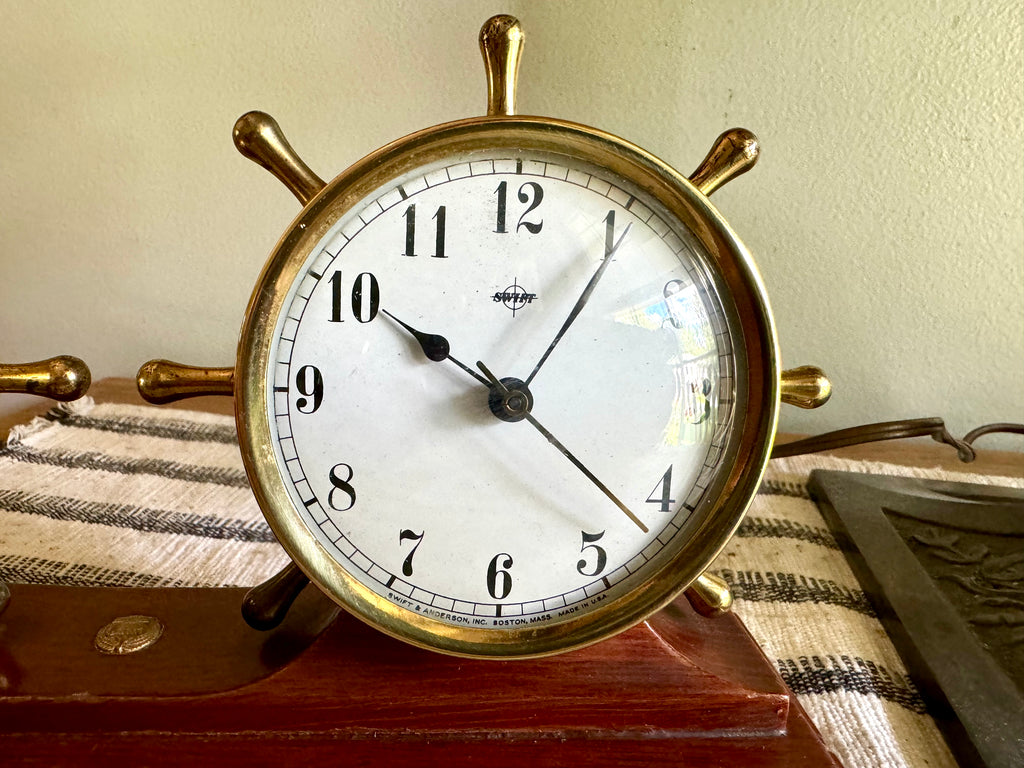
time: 10:05
